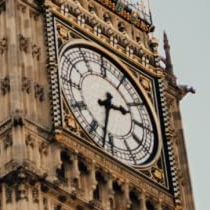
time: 2:32
